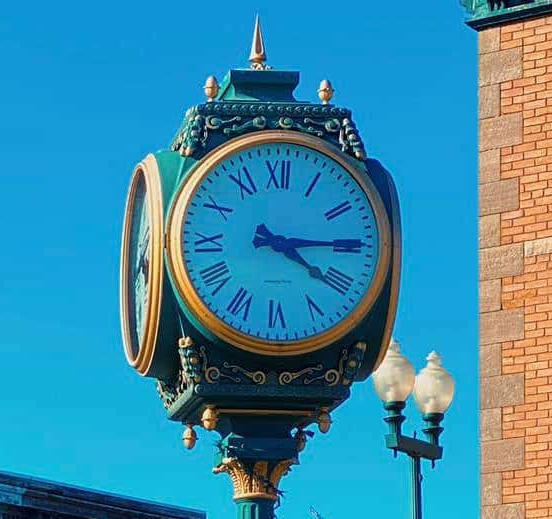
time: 4:14
